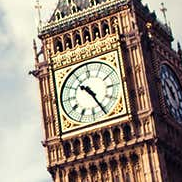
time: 10:25
